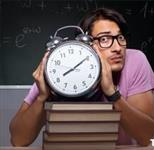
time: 8:09
